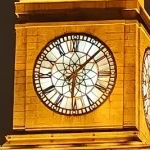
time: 6:07
